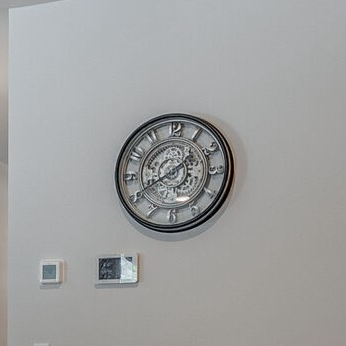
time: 1:41
